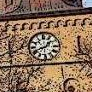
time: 1:41
